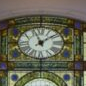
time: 11:08
